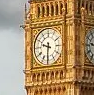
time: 9:31
